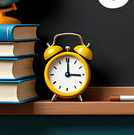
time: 3:00
